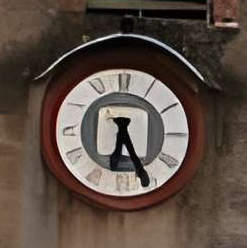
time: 6:25
